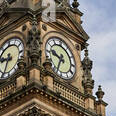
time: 9:34
